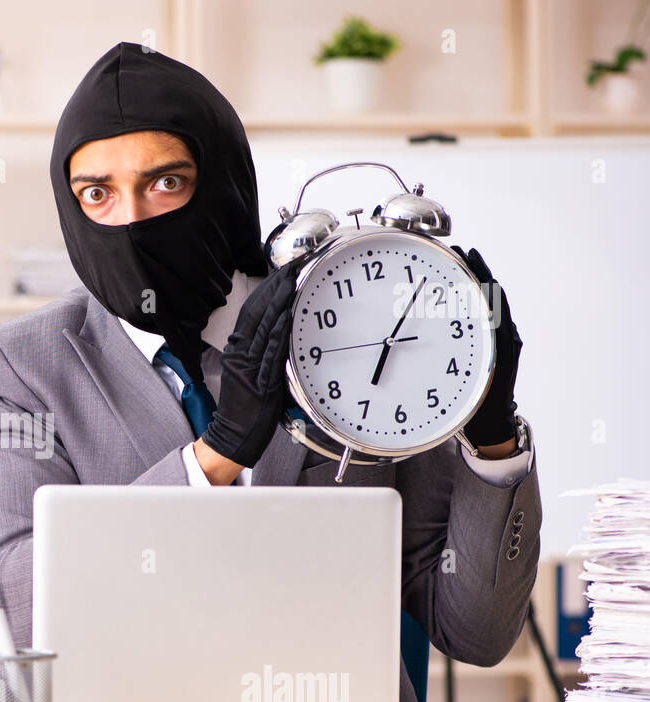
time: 7:06
